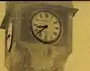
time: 8:38
